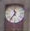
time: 11:36
